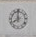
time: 7:59
